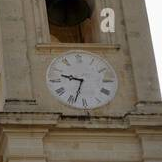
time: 9:33
